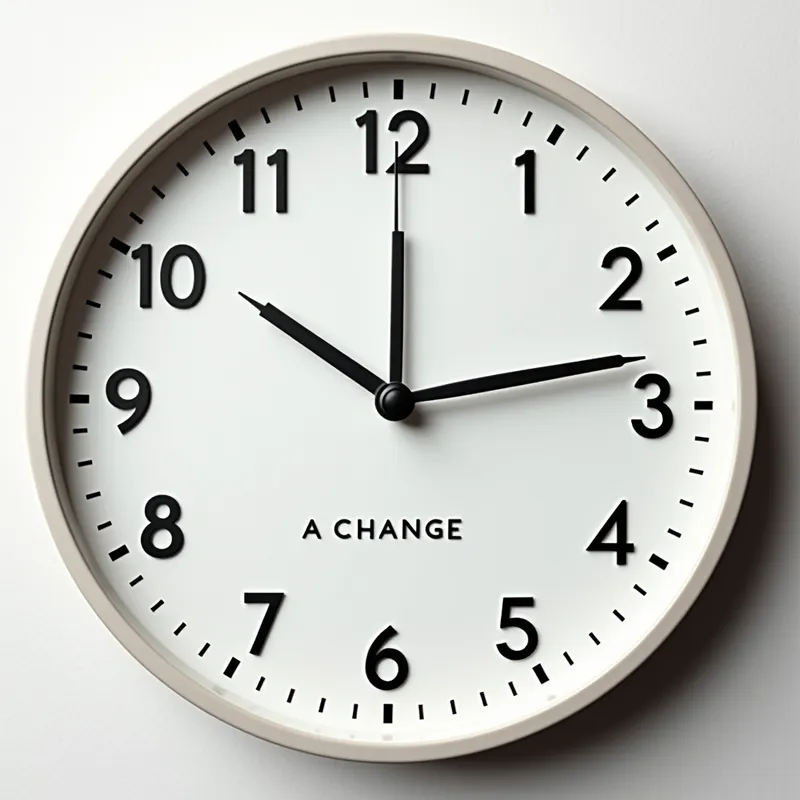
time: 10:13
